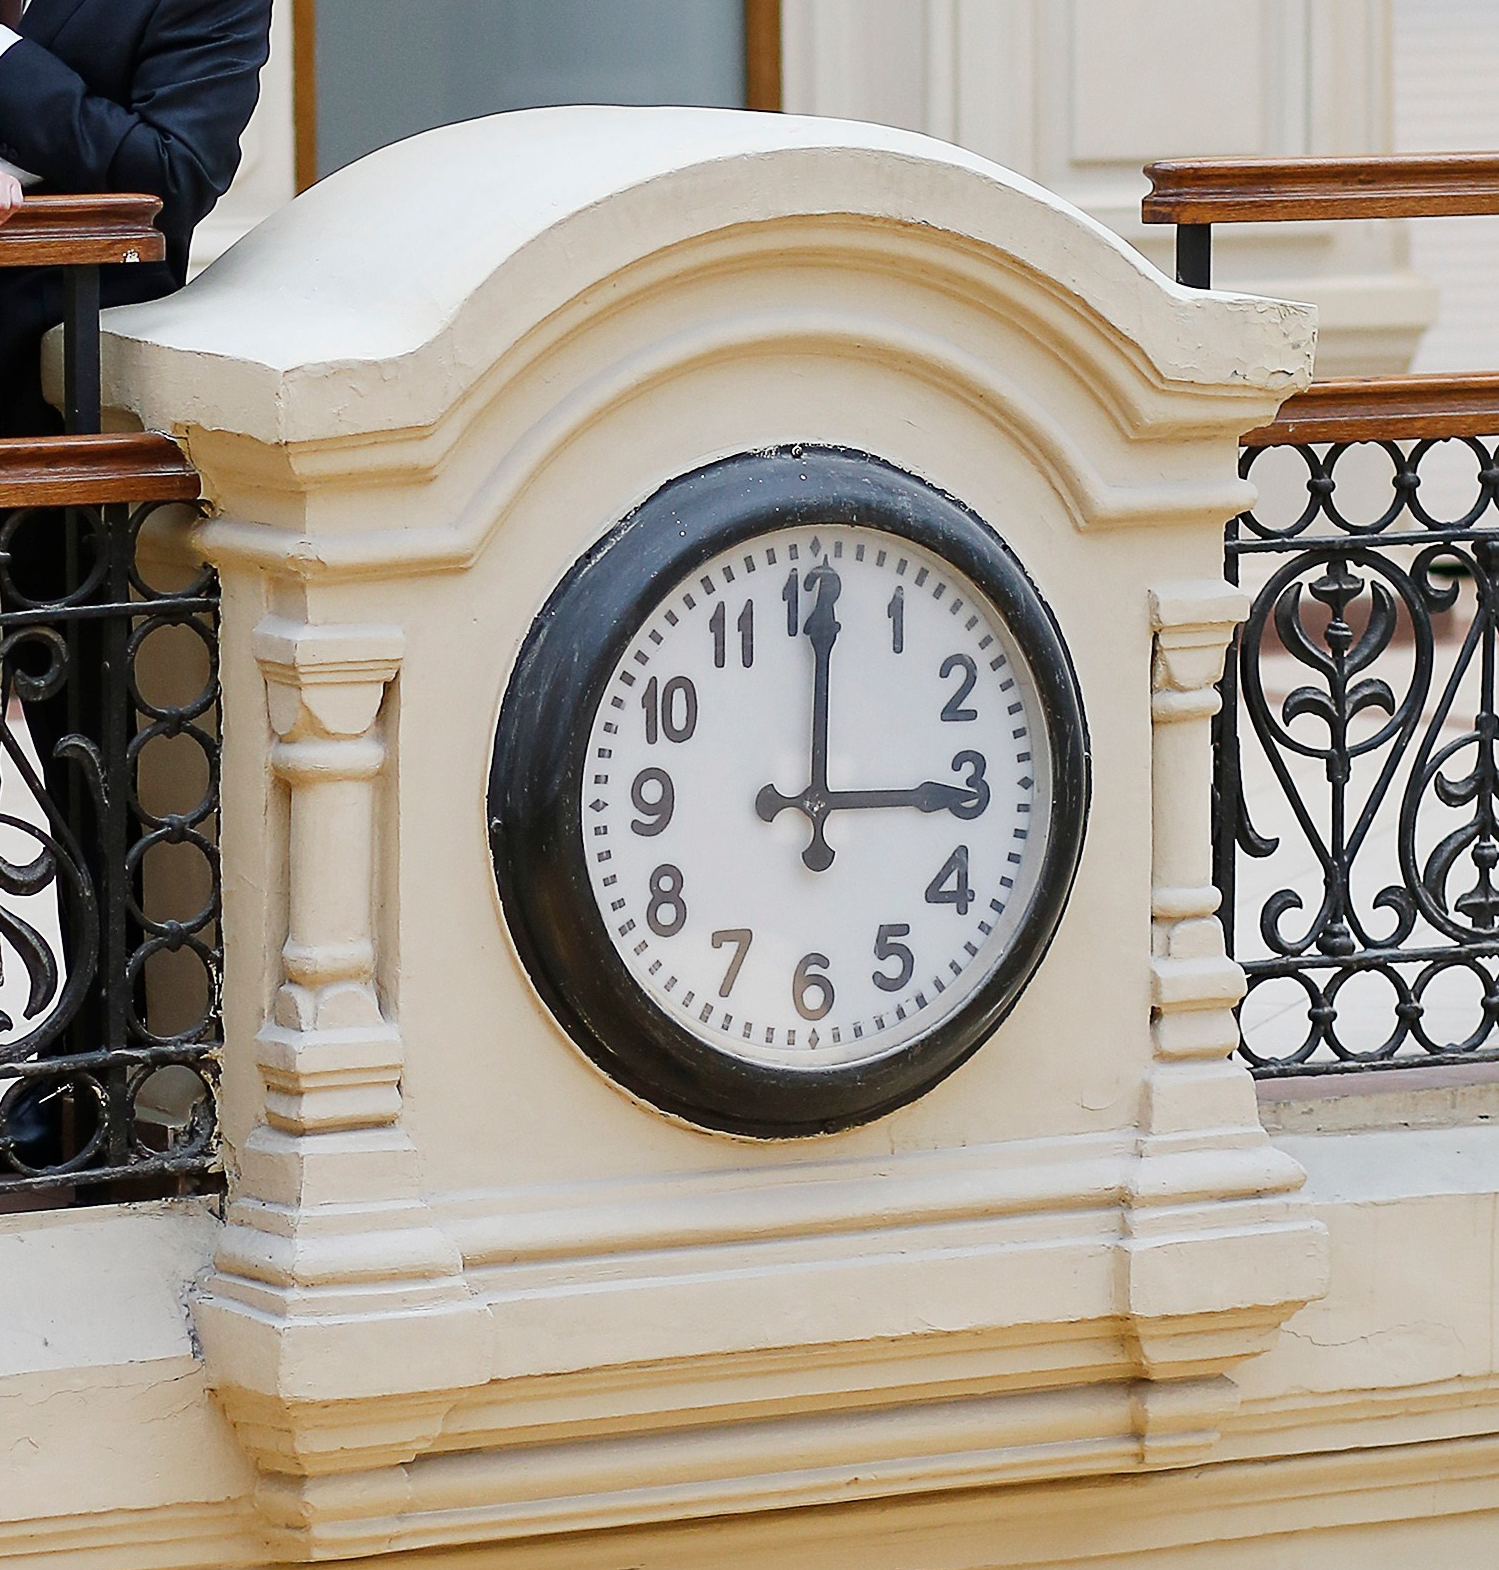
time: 3:00
